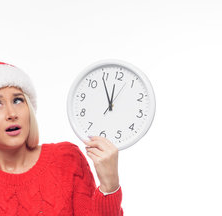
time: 11:54
